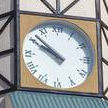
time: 9:51
